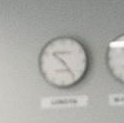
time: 10:23
